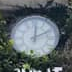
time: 12:10
